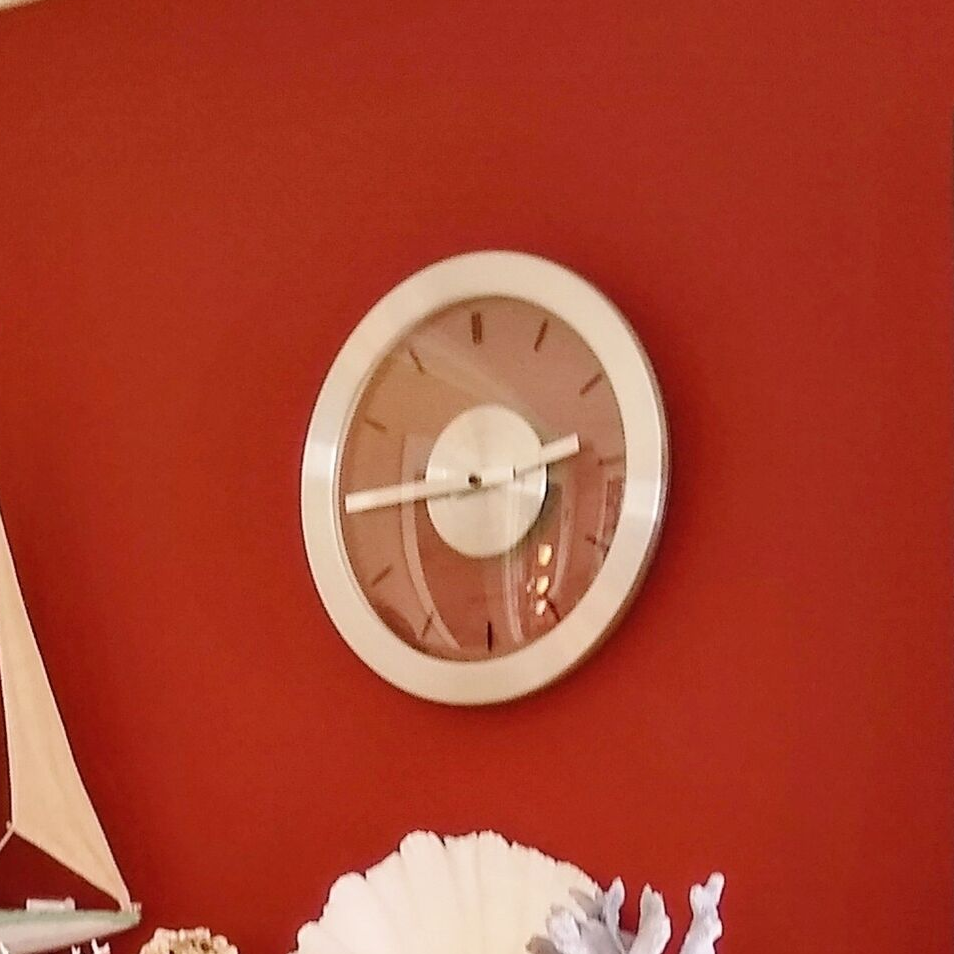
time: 2:45
